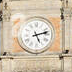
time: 5:12
